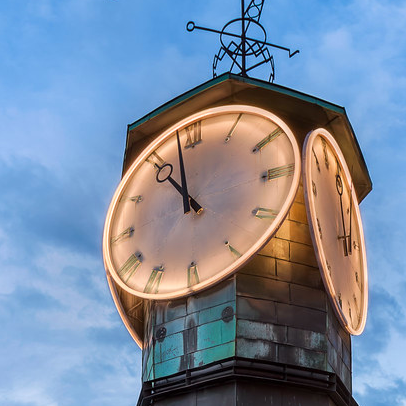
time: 10:58
